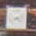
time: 4:12
